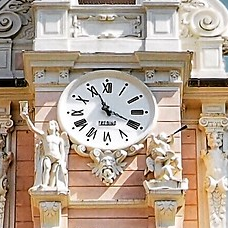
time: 3:56
